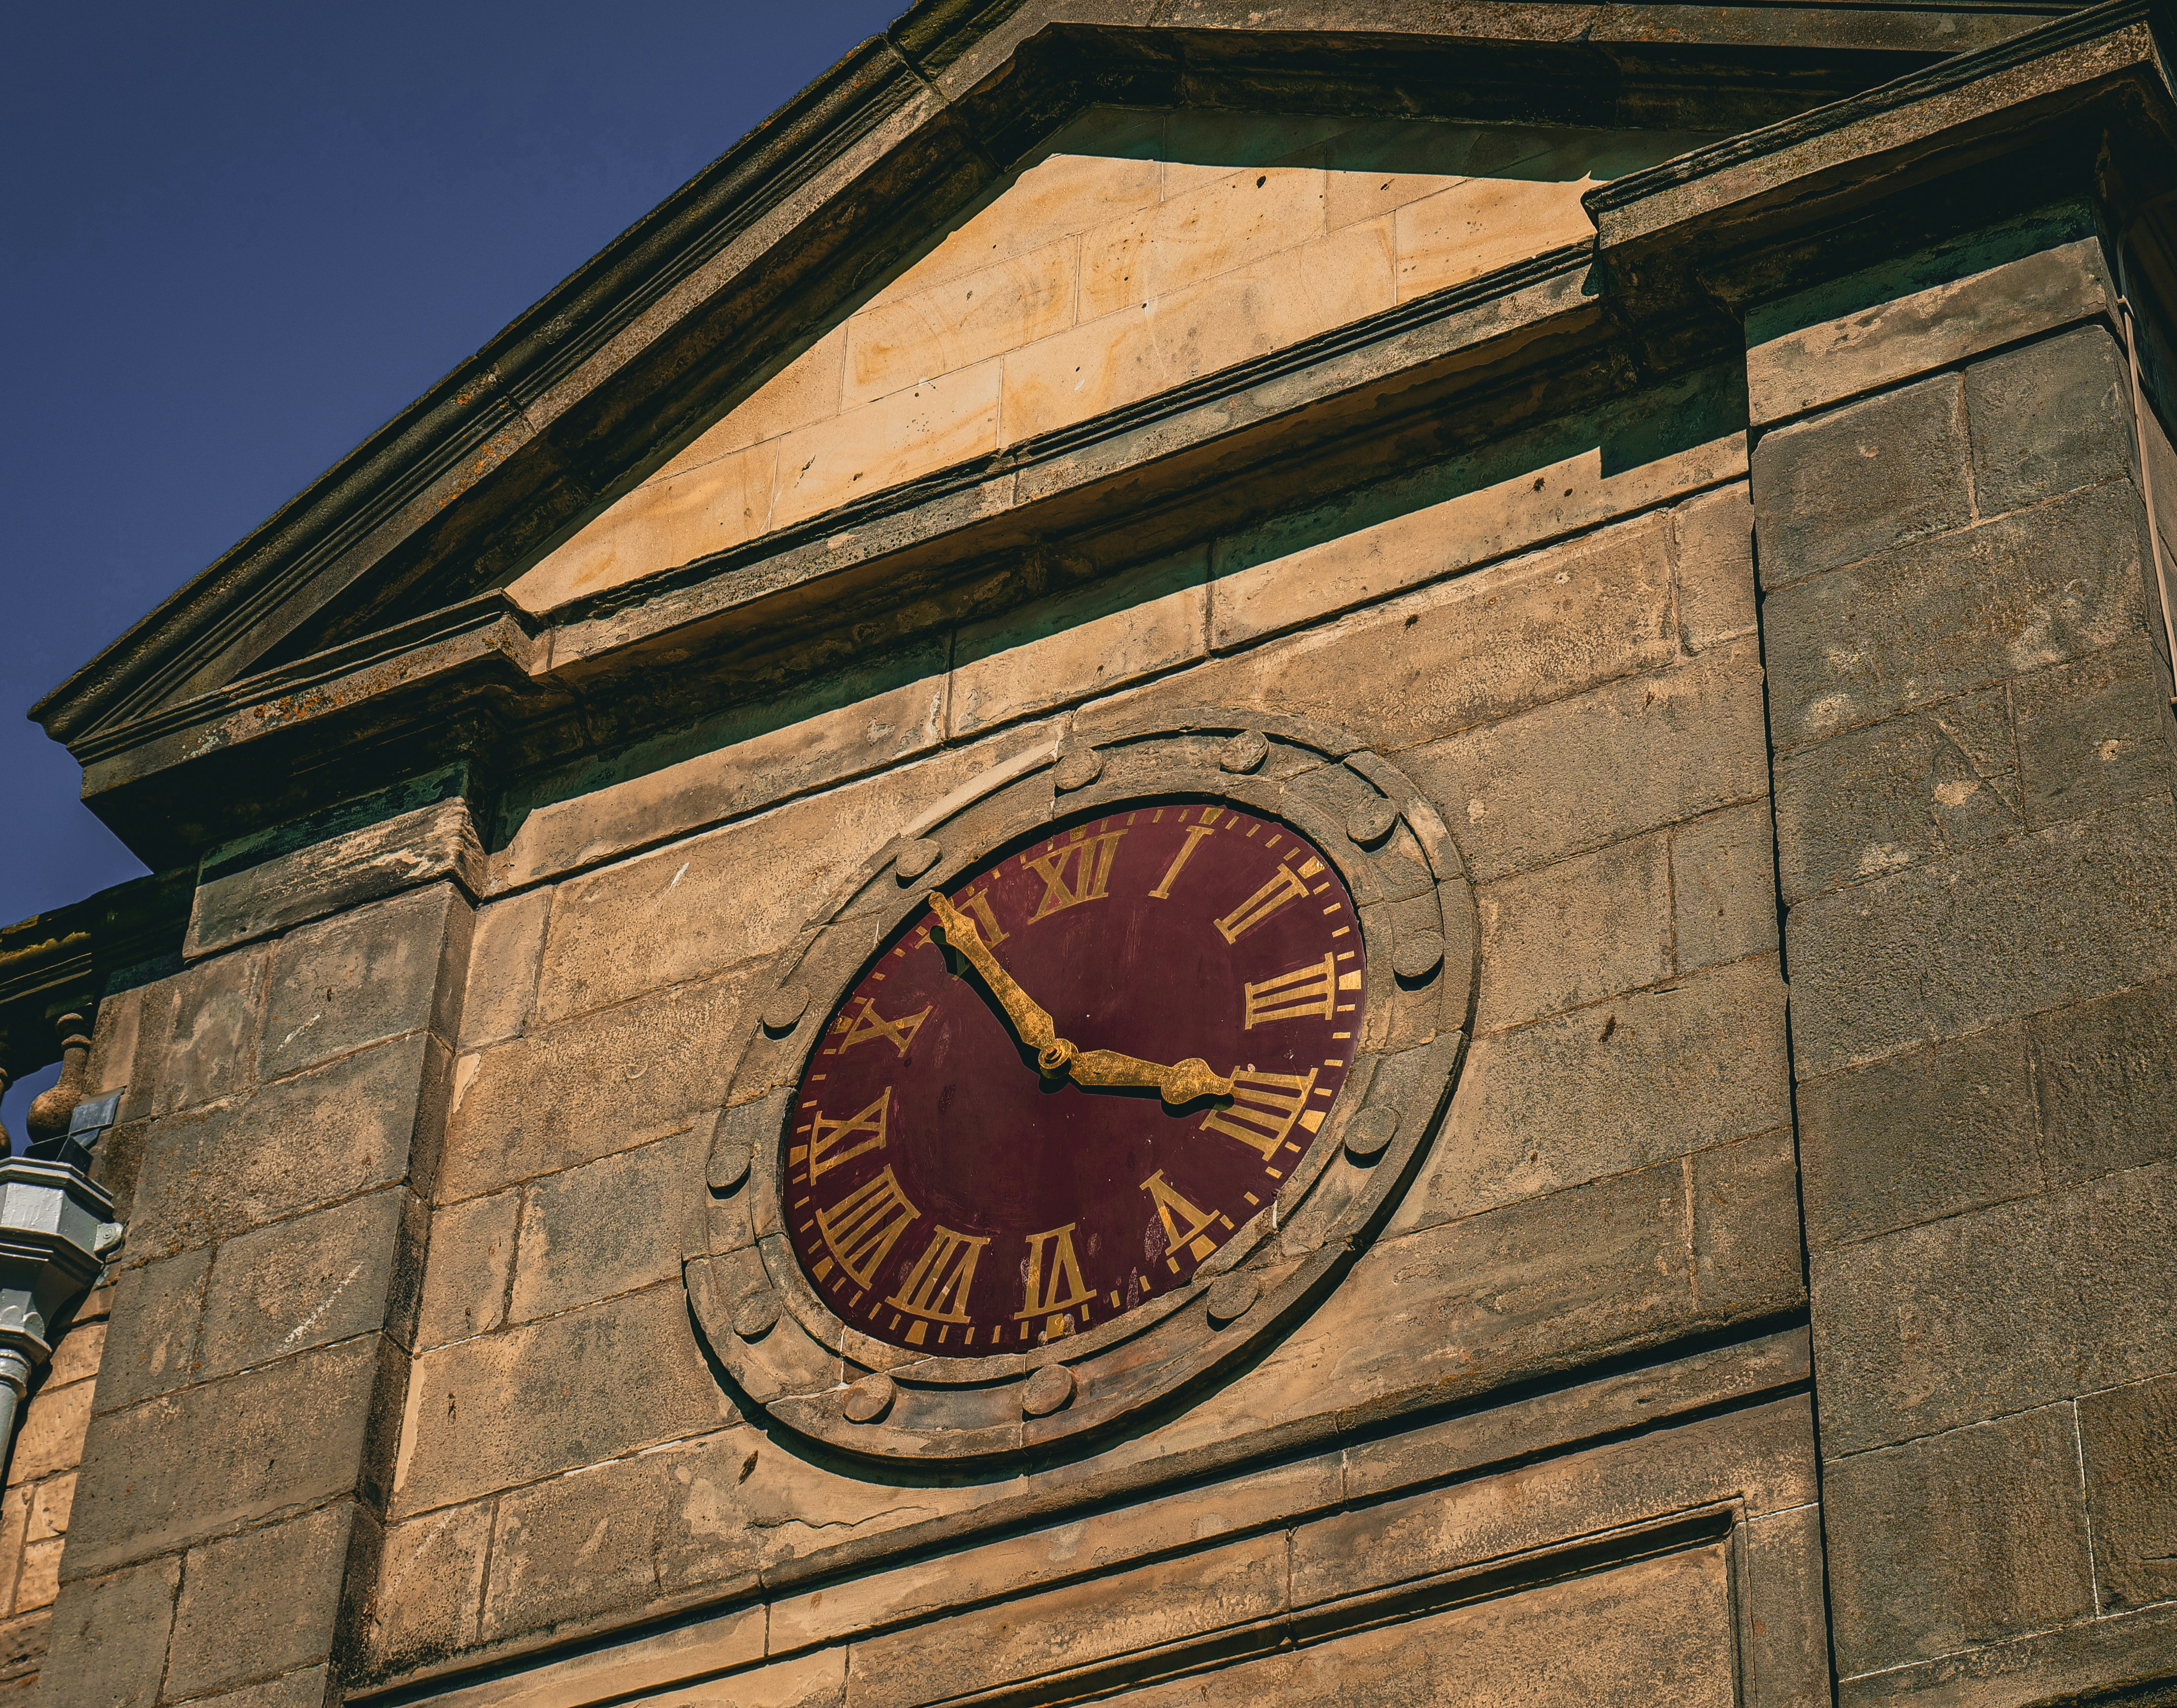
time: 3:54
